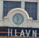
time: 11:32
